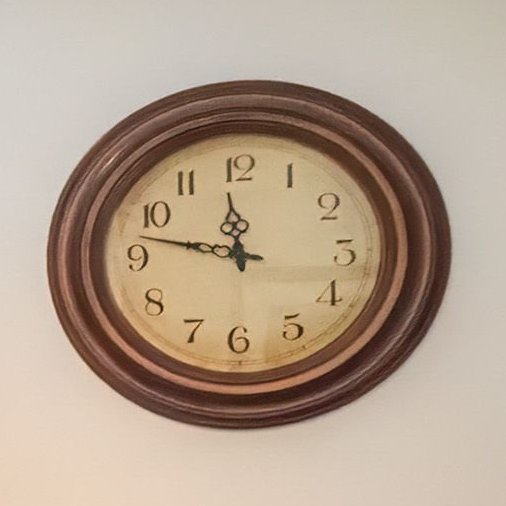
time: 11:47
